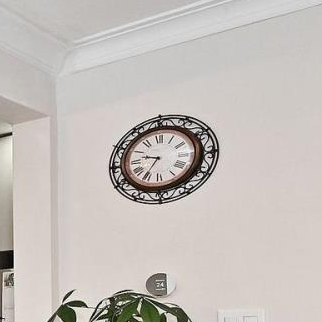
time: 9:35
